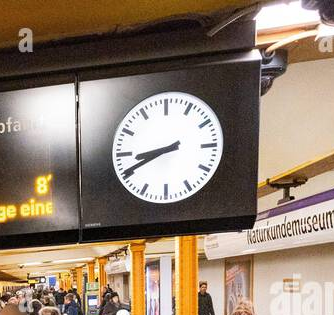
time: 8:40
